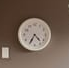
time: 4:35
